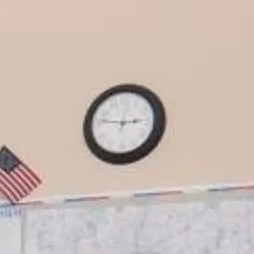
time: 2:46
